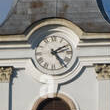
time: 2:23
